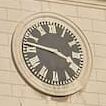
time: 3:46
